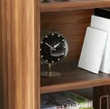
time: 1:50
